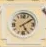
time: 5:09
